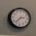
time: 2:38
